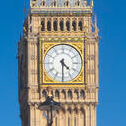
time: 4:30
